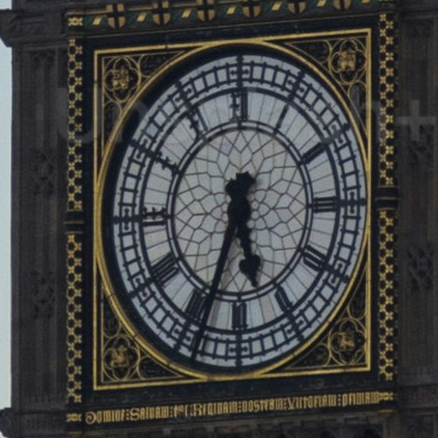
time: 5:33
